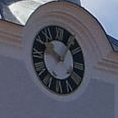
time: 10:06
